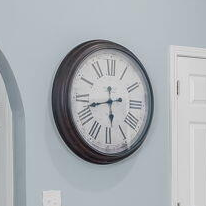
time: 5:42
